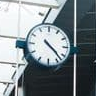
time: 4:22
